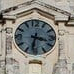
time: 3:32
